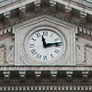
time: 11:13
